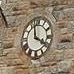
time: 3:57
